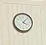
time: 4:07
